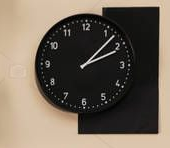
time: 2:07
